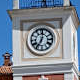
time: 7:01
